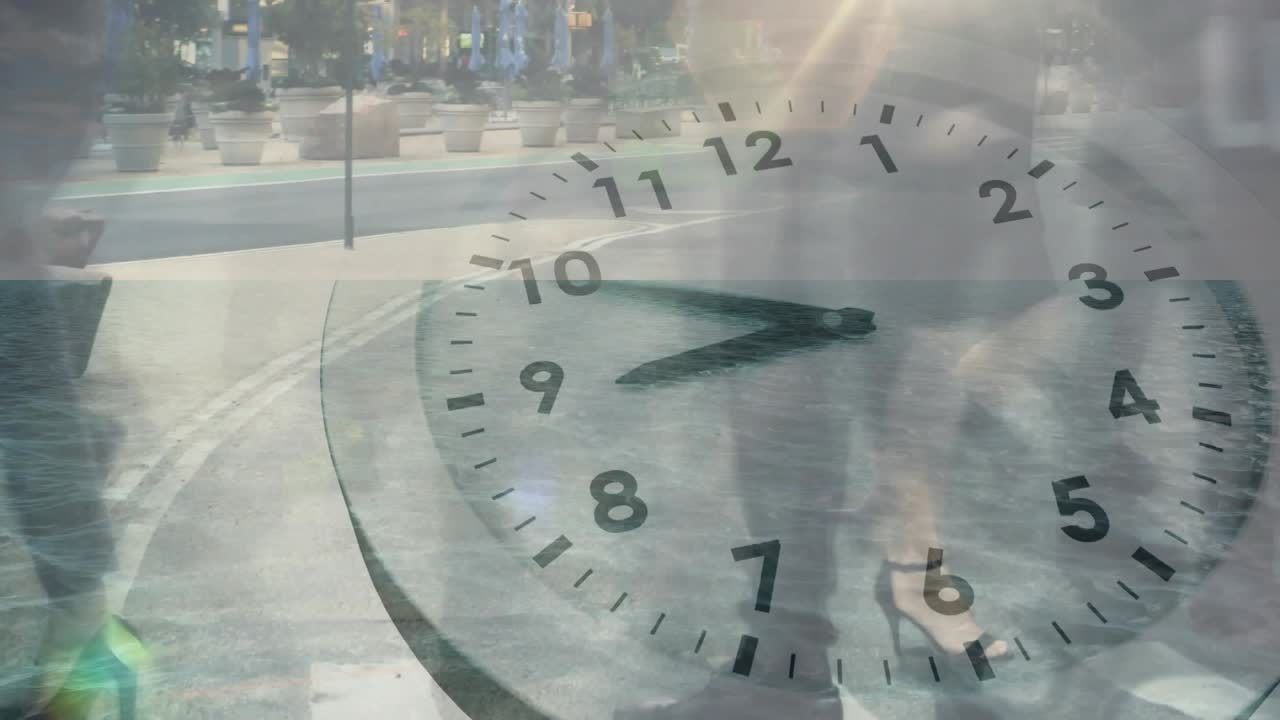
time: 8:49
